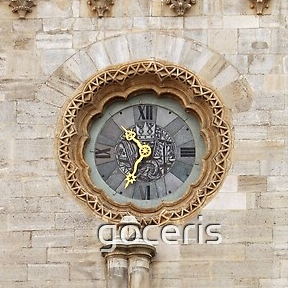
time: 10:33
